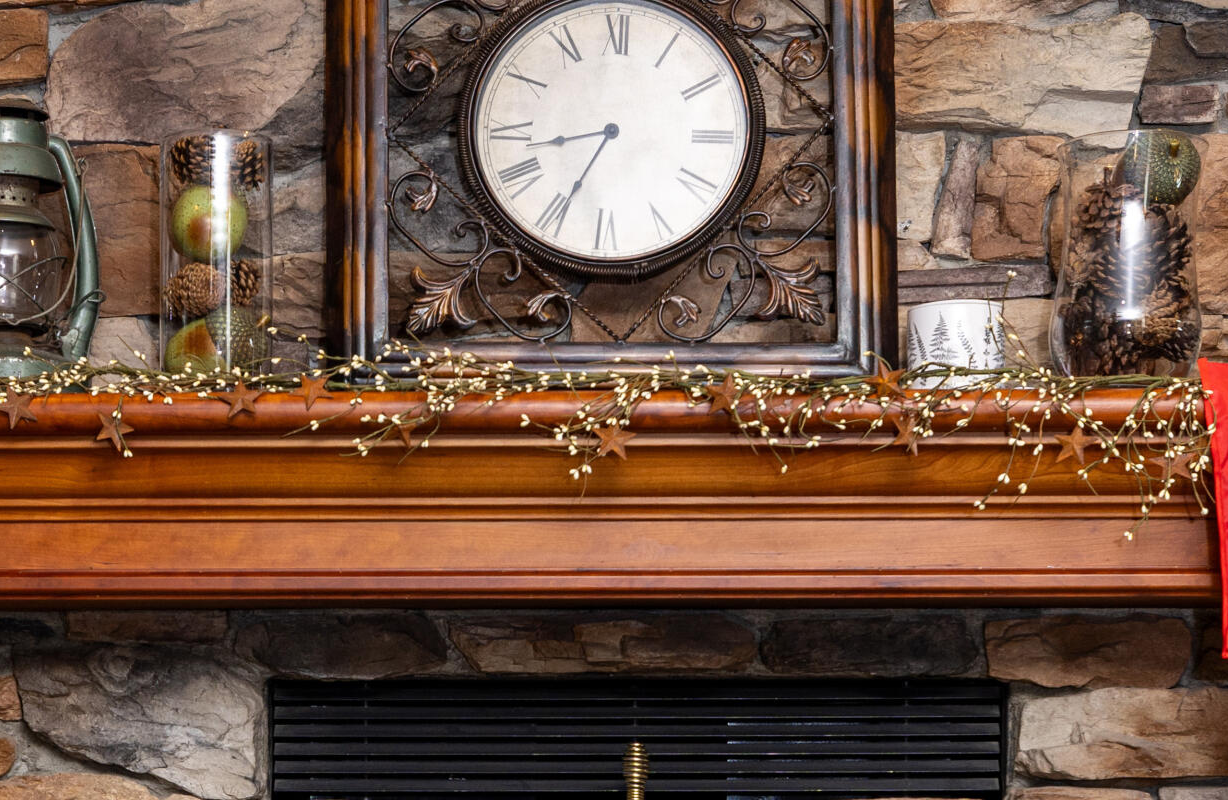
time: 8:34
